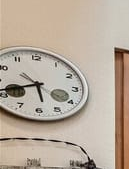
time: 5:41
